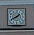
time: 1:40
